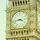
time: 3:43
